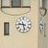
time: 9:28
